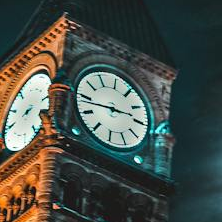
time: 2:43
